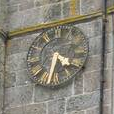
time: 4:32
